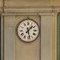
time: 1:28
